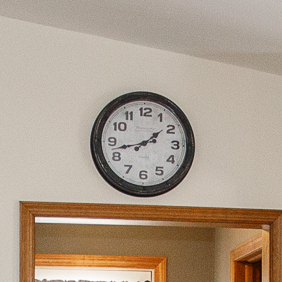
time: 1:42
